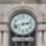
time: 2:42
